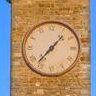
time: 1:37
